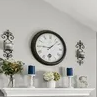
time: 9:07
